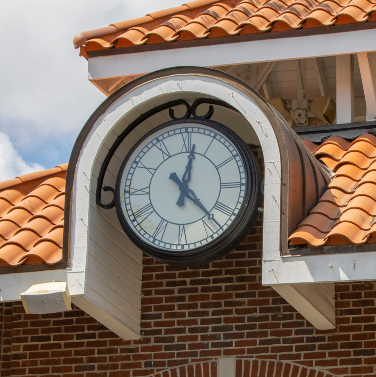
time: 12:22
